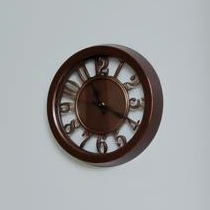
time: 11:19
